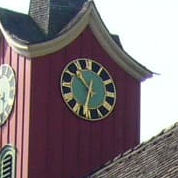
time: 10:32
